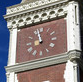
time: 8:57
